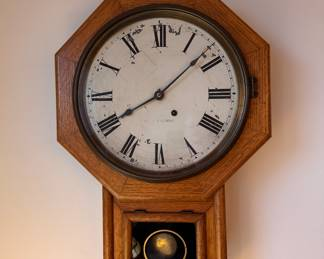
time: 8:07
